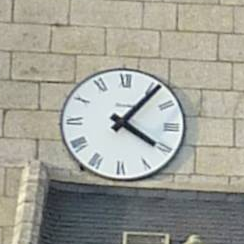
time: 4:06
